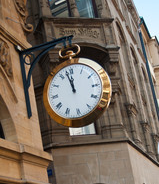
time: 11:57
